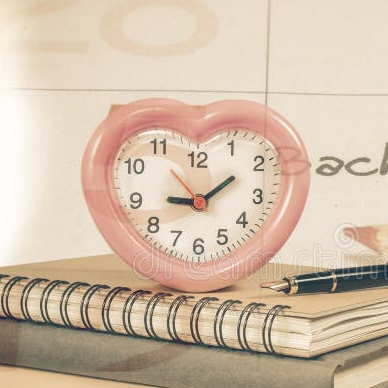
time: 9:09
